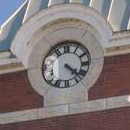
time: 4:22
